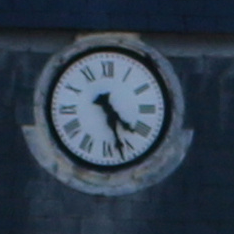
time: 4:27
